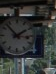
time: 1:52
